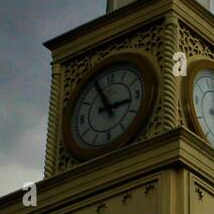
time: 2:55
